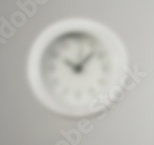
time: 10:07
